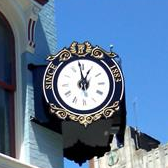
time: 12:58
